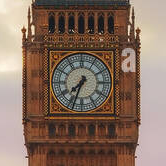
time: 7:33
